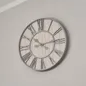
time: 10:13
